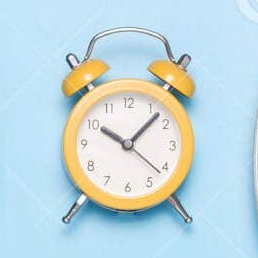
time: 10:07
